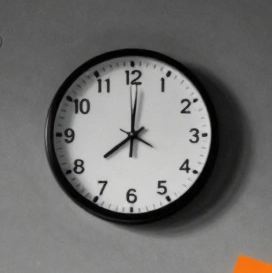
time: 8:00
